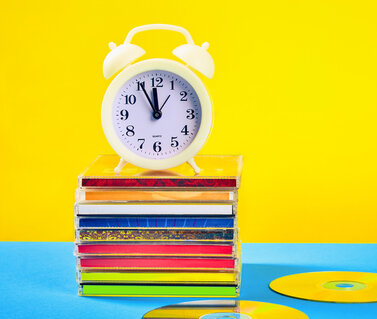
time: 11:55
